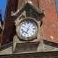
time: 7:04
